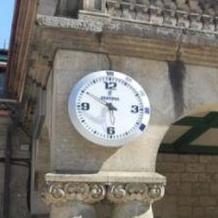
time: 5:50
